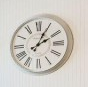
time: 2:04
